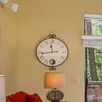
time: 11:43
